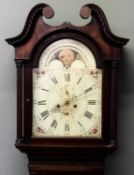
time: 8:11
